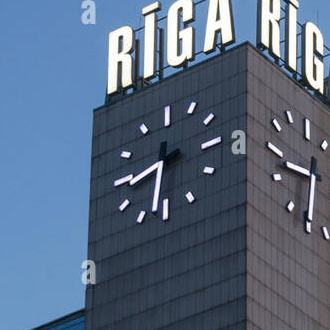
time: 8:32
